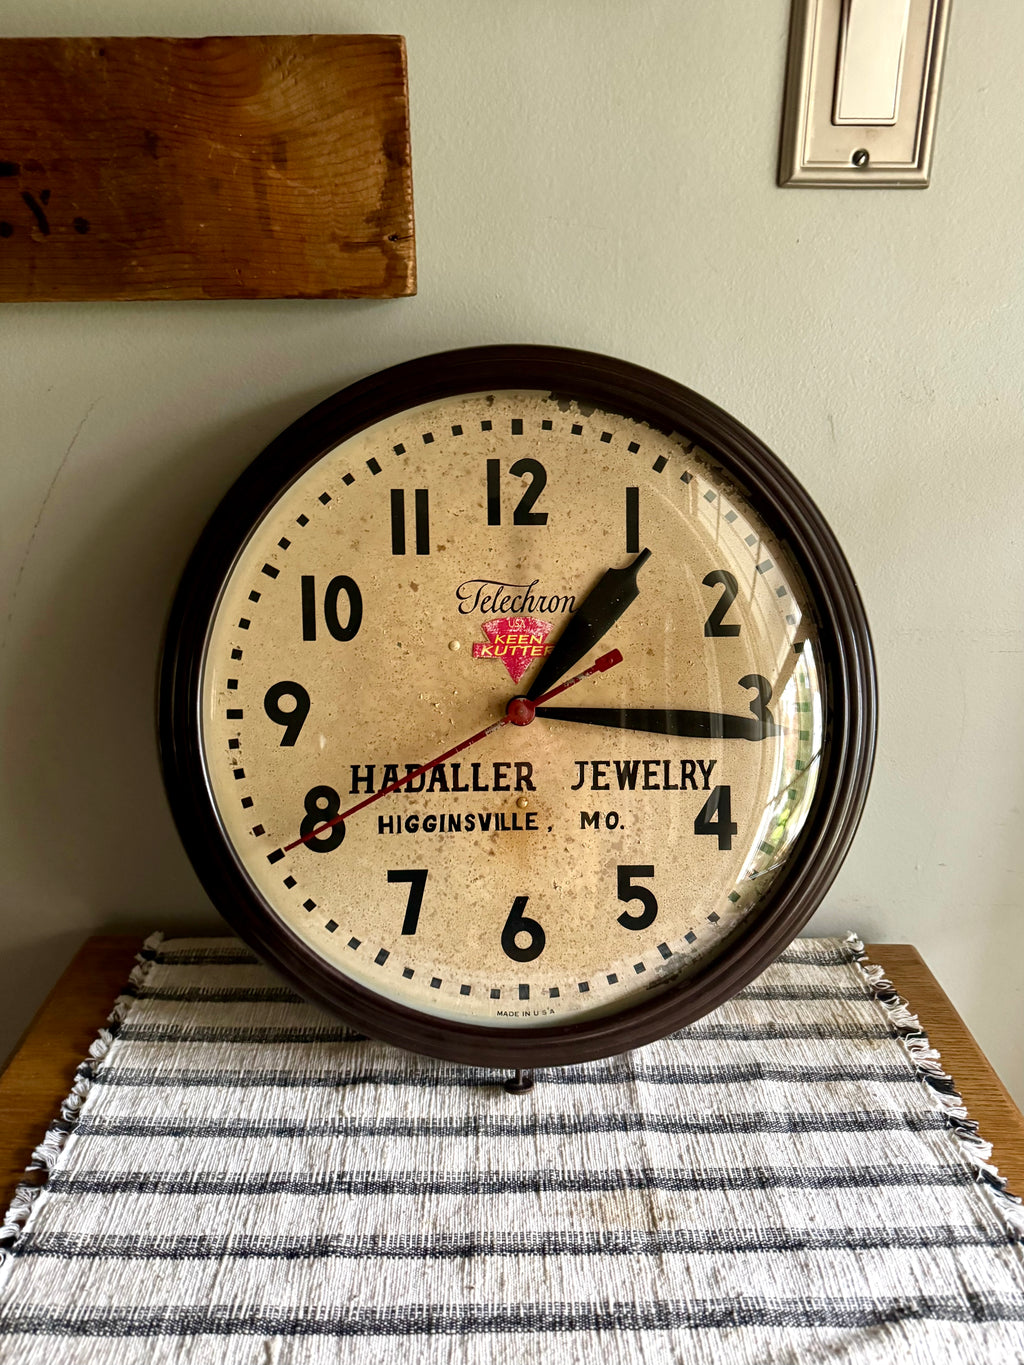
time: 1:15
